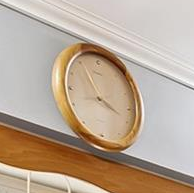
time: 3:55
